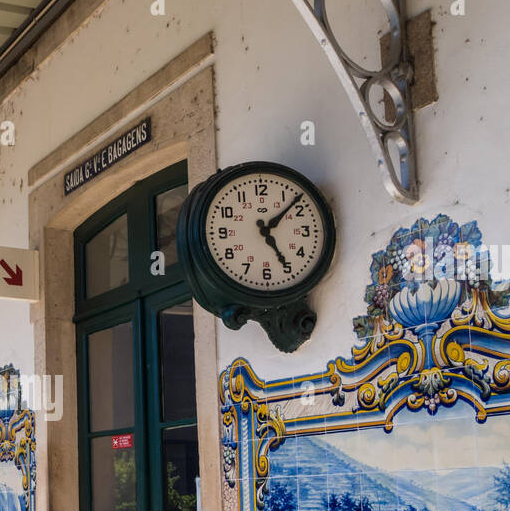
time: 5:07
